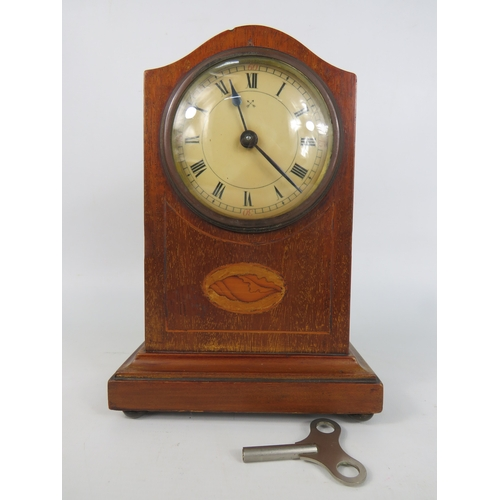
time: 11:22
